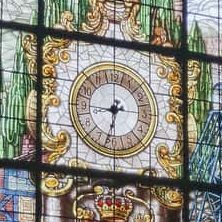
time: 8:32
